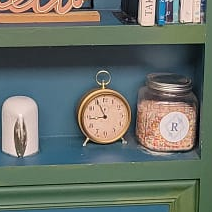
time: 8:55
